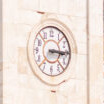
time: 3:15
